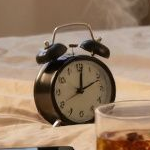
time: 12:11
